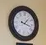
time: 1:17
